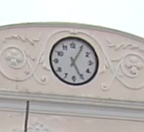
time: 5:05
